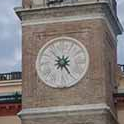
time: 7:24
